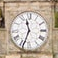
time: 11:33
